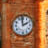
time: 1:59
